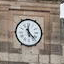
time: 11:22
